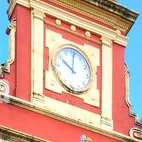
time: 10:00
